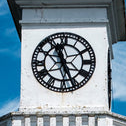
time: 11:25
